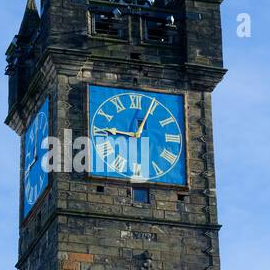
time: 9:04
